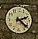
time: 2:21
